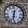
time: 12:32
